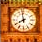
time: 7:58
